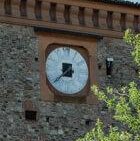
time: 7:38
